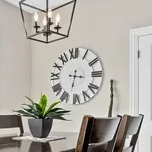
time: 3:32
